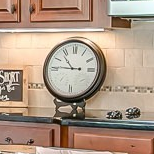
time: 10:45
